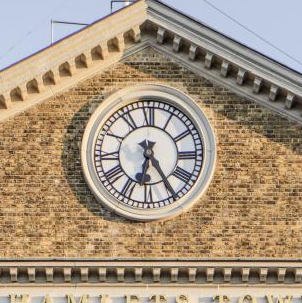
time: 6:24
